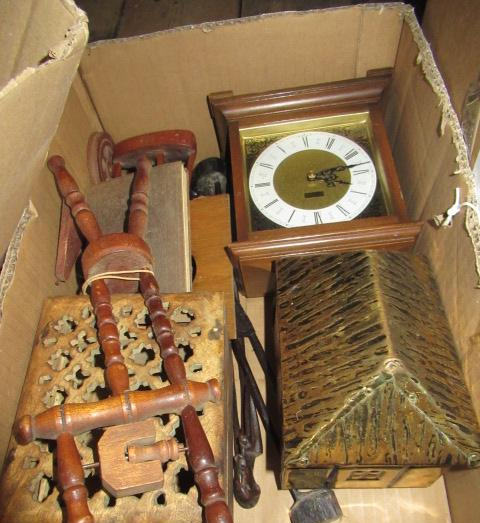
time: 3:12
